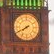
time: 7:40
